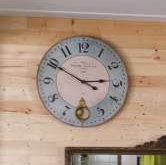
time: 2:50
